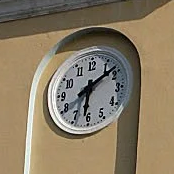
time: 6:08
